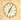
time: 7:04
